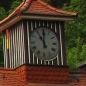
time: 11:00
